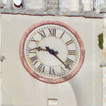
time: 9:22
